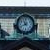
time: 10:41
